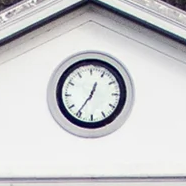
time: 12:36
